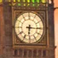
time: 6:15
